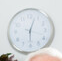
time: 12:30
